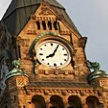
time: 8:05
